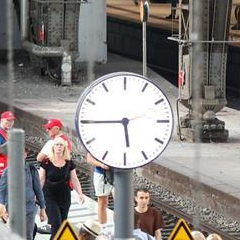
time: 5:44
